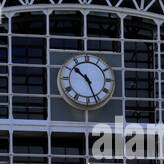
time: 10:26
